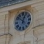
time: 12:52
